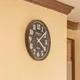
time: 4:07
